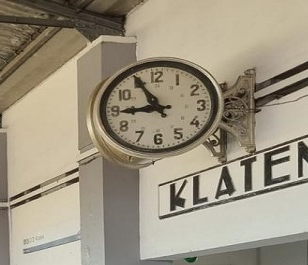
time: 8:55
